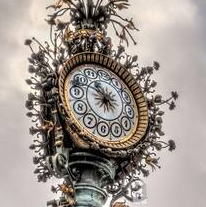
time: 10:47
